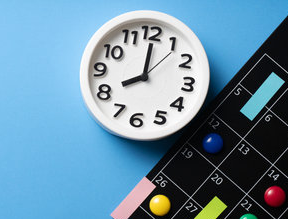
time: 8:00
